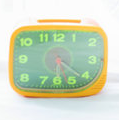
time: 5:21
